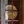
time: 12:13
